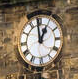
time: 12:59
